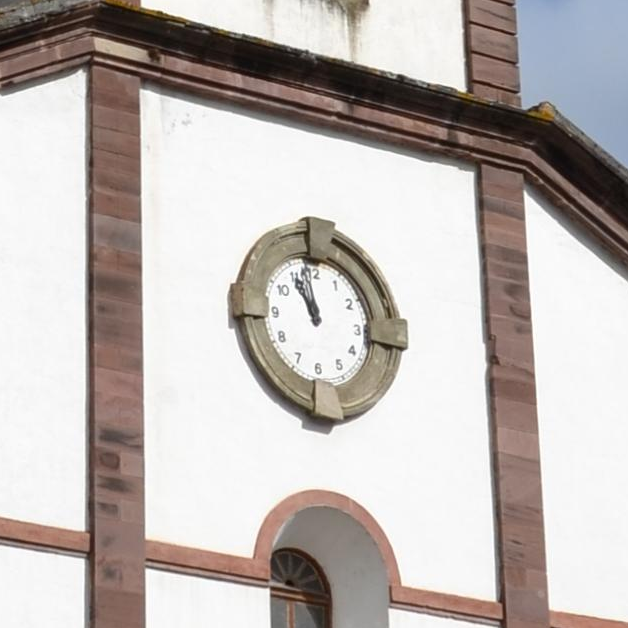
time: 10:58
